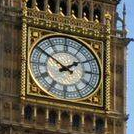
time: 1:50
